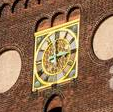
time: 2:59
